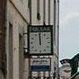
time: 11:59
